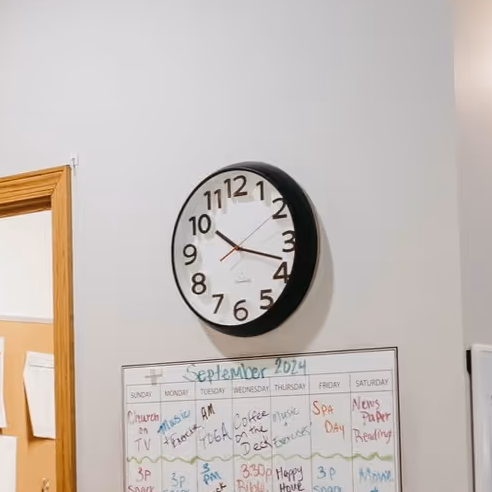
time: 10:18
